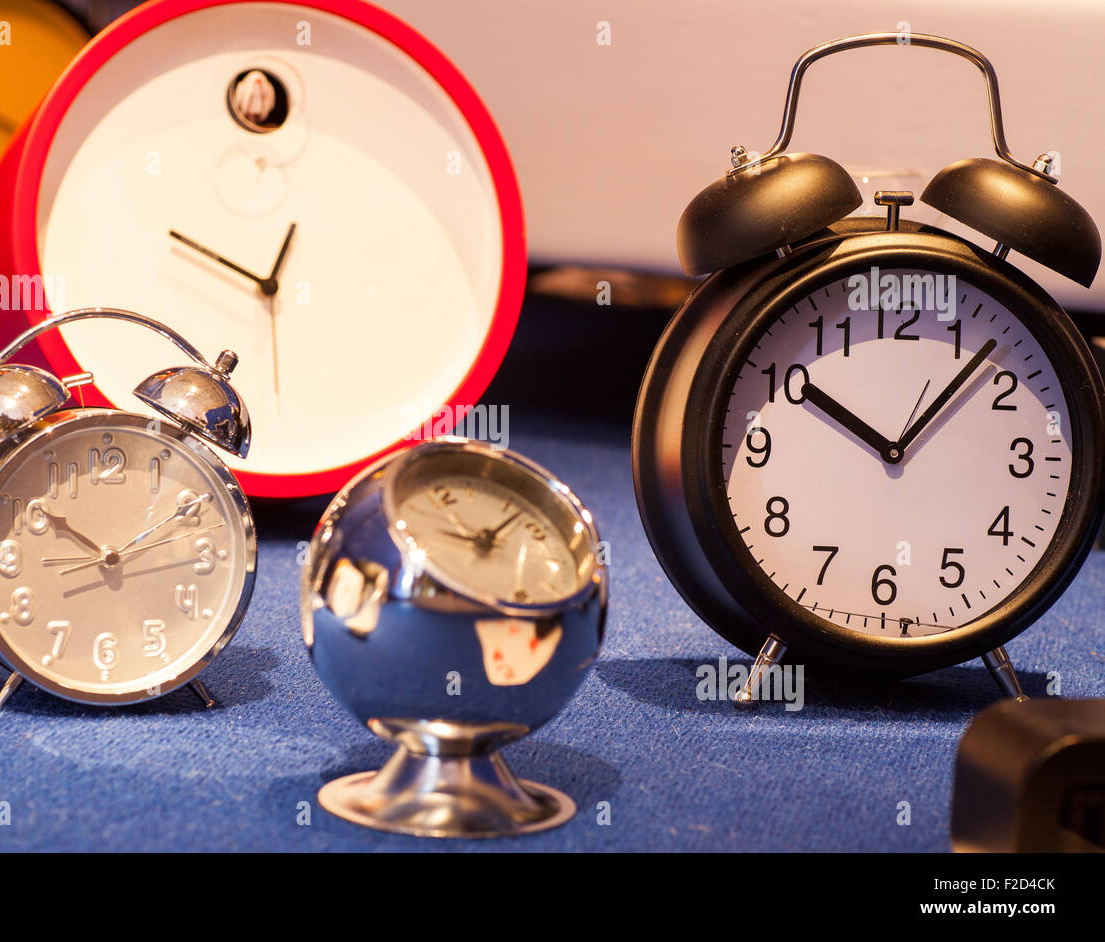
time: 10:07
